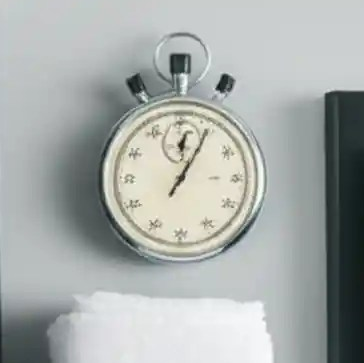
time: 12:04
